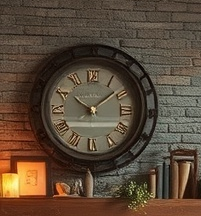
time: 10:08
